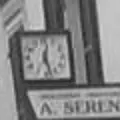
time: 12:27
